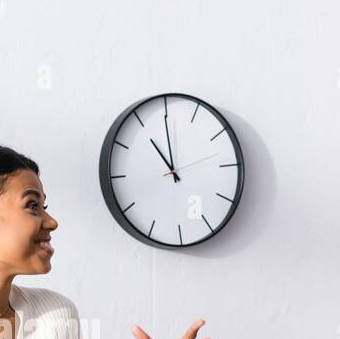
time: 10:59
